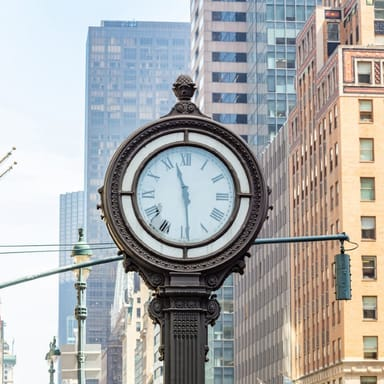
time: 11:29
